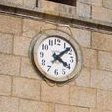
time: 4:07
